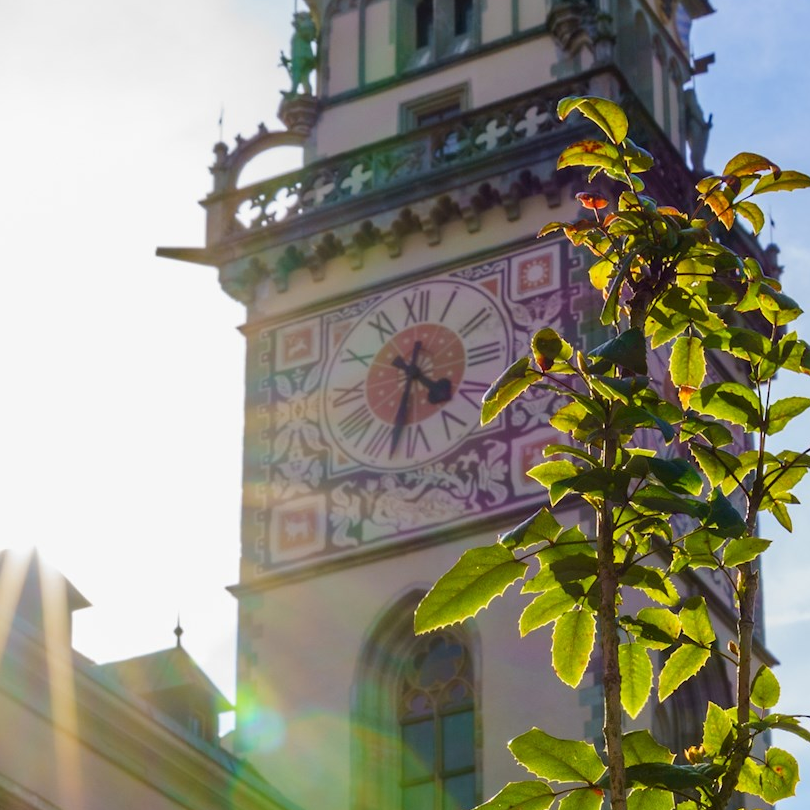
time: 4:32
